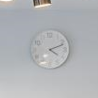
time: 4:11
